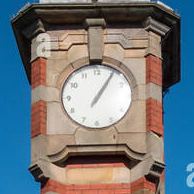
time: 1:05
